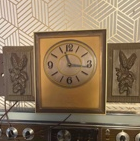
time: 11:16
